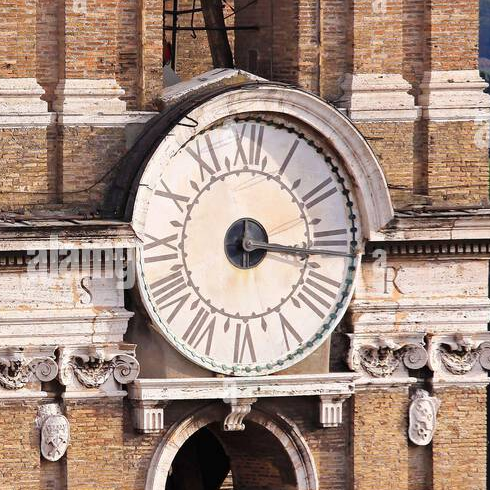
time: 3:15
